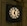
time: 12:26
